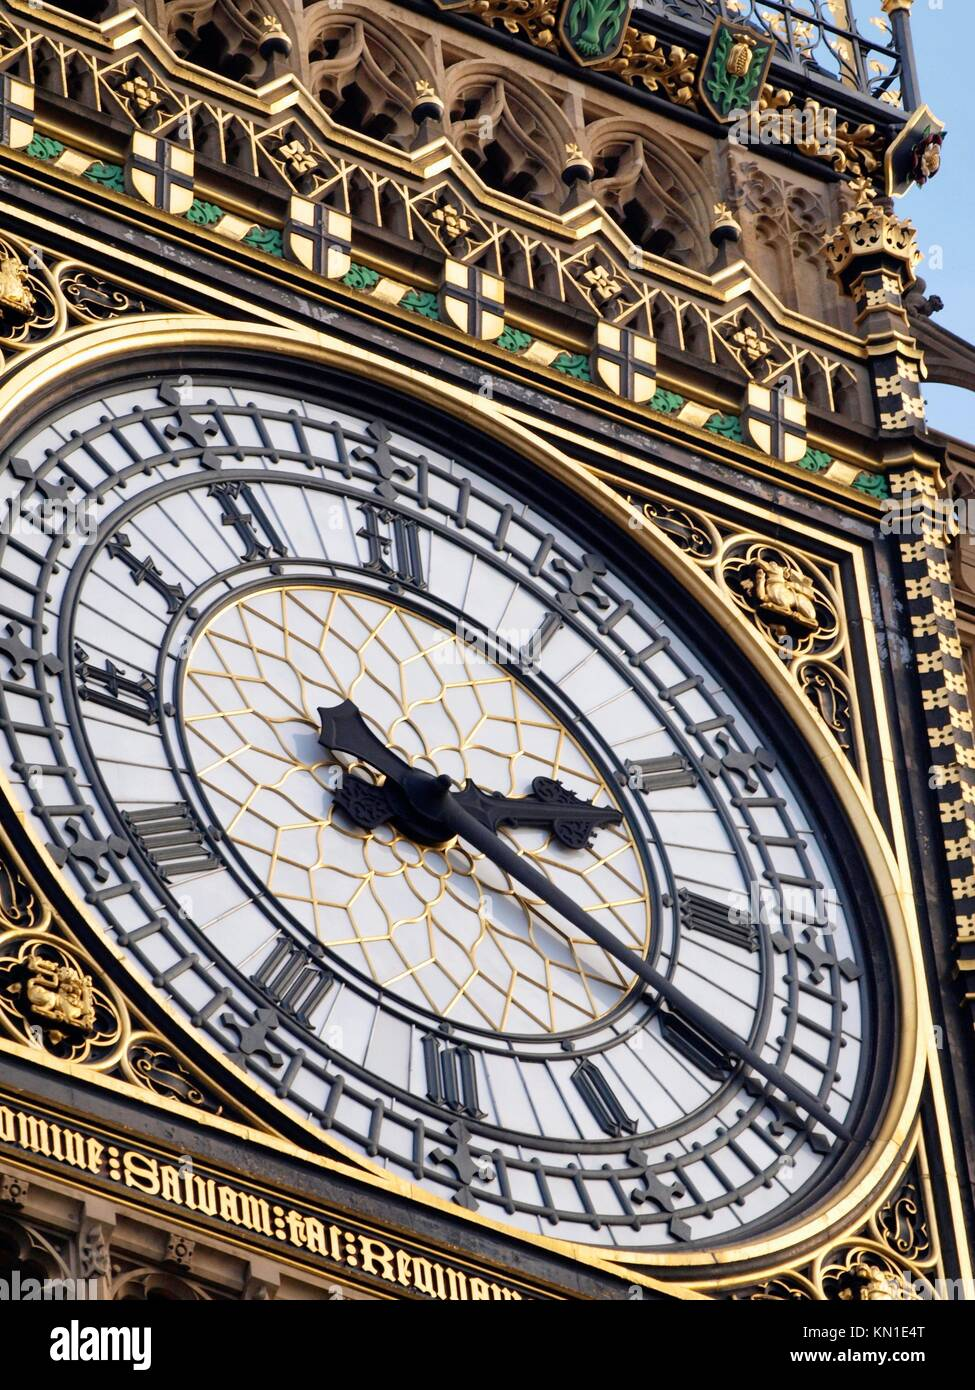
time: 2:19
